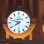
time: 7:47
